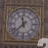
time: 11:37
